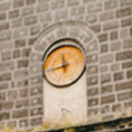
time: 11:42
